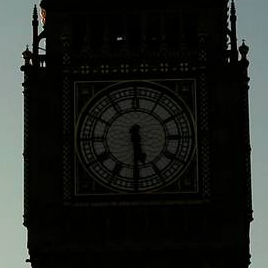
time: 5:30
